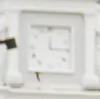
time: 12:14
